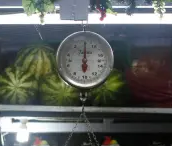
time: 6:00
